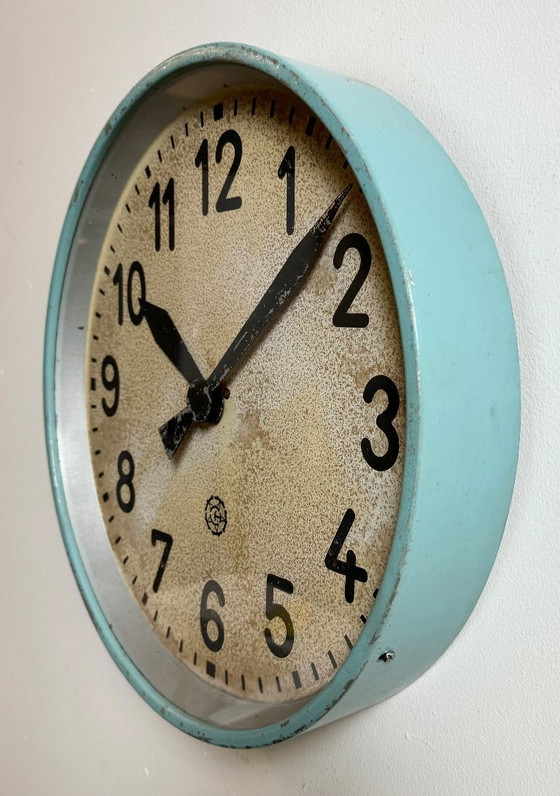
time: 10:07
